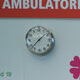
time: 1:37
